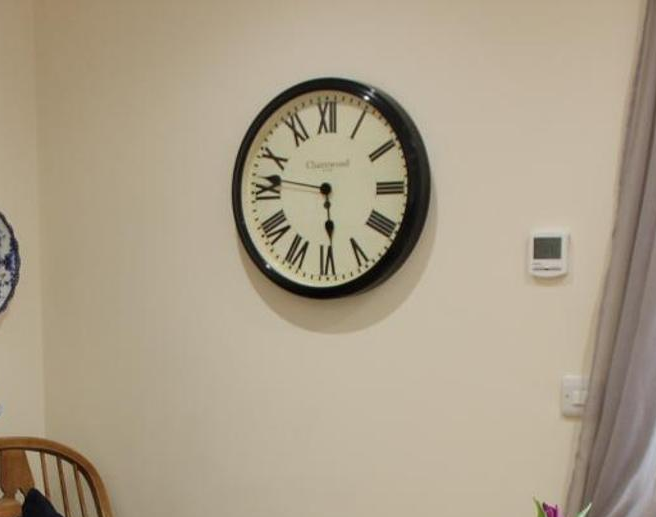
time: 5:46
